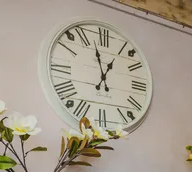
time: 12:57
